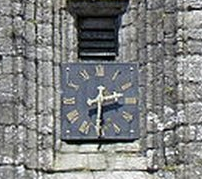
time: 2:30
